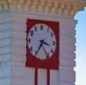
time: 3:35
